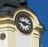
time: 2:46
